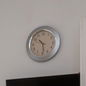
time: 10:28
